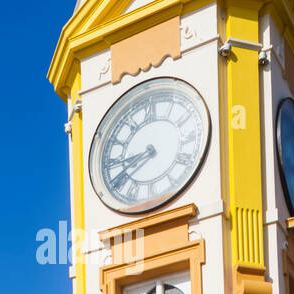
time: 8:40
